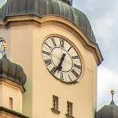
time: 6:34
